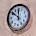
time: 11:50
